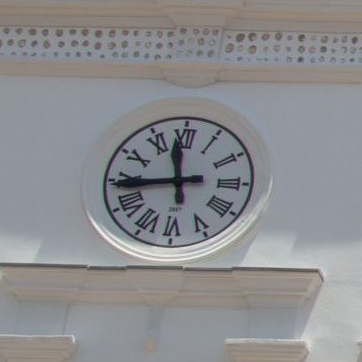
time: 11:43
